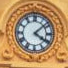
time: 4:08
